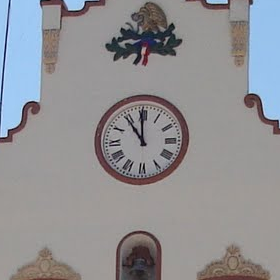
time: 10:59
